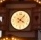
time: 4:07
